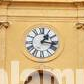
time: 1:16
